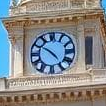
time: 4:50
